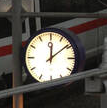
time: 12:08
